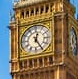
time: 12:24
